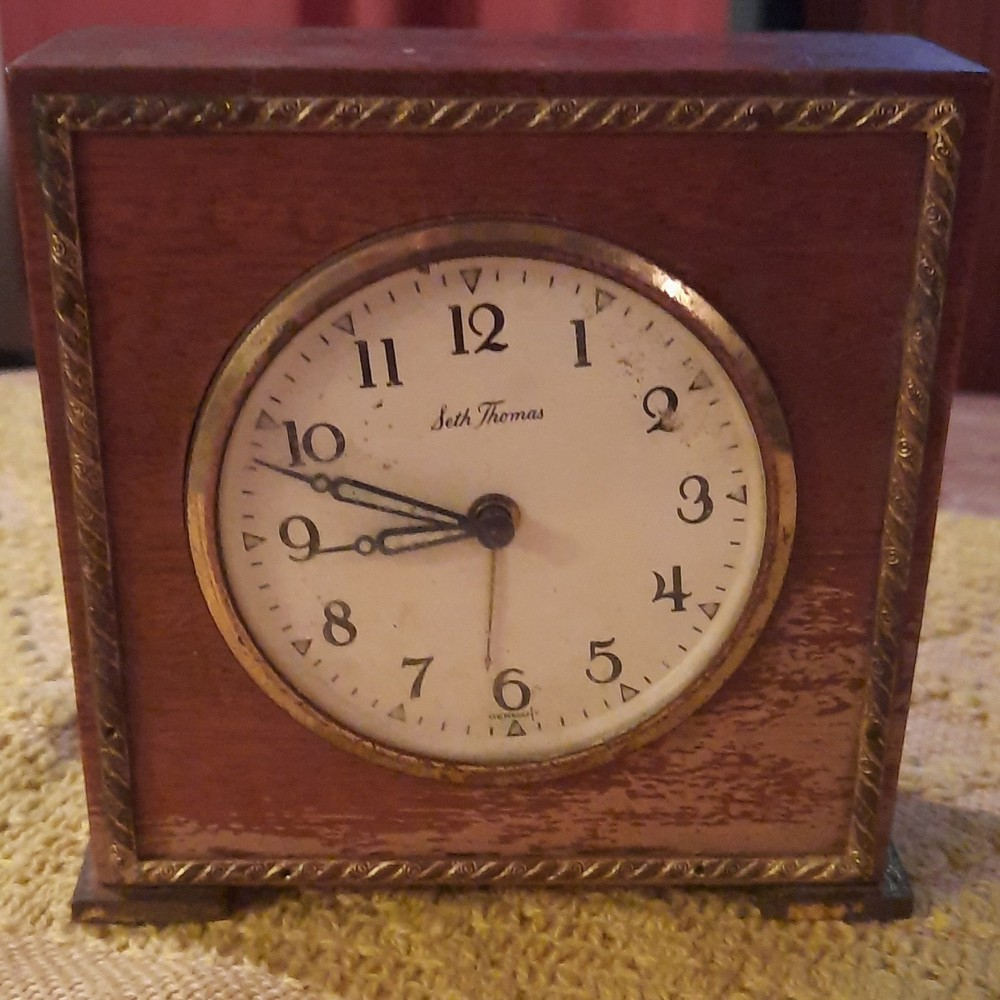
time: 8:48
